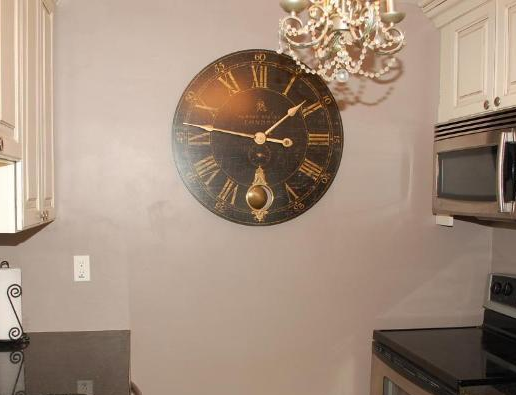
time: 1:46
